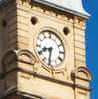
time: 8:32
